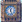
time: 12:26
